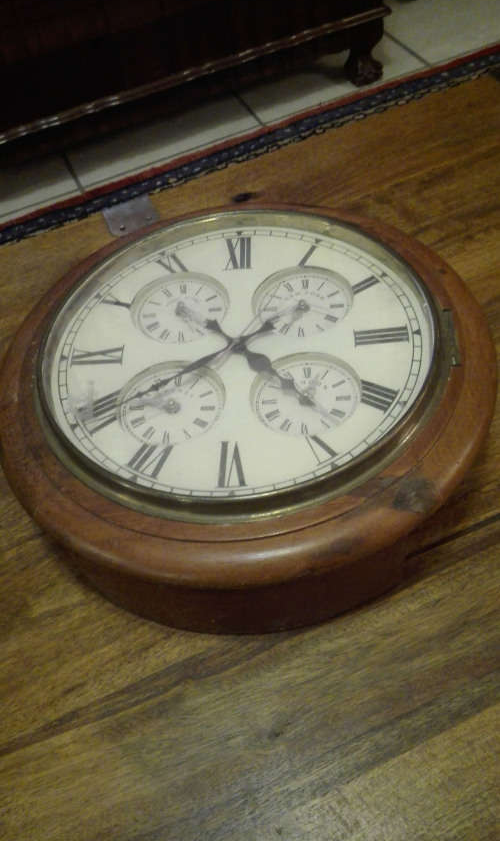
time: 4:40
